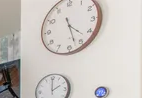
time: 4:27
